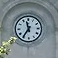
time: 11:35
